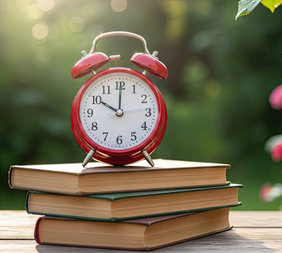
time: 10:00
